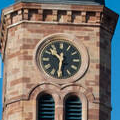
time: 10:31
